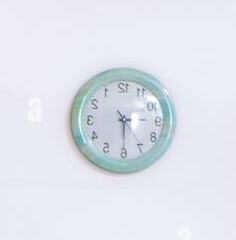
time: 3:29
